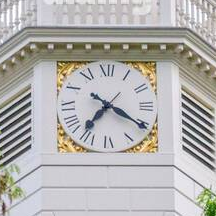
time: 7:20
